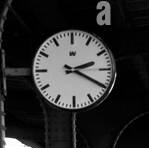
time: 2:19
